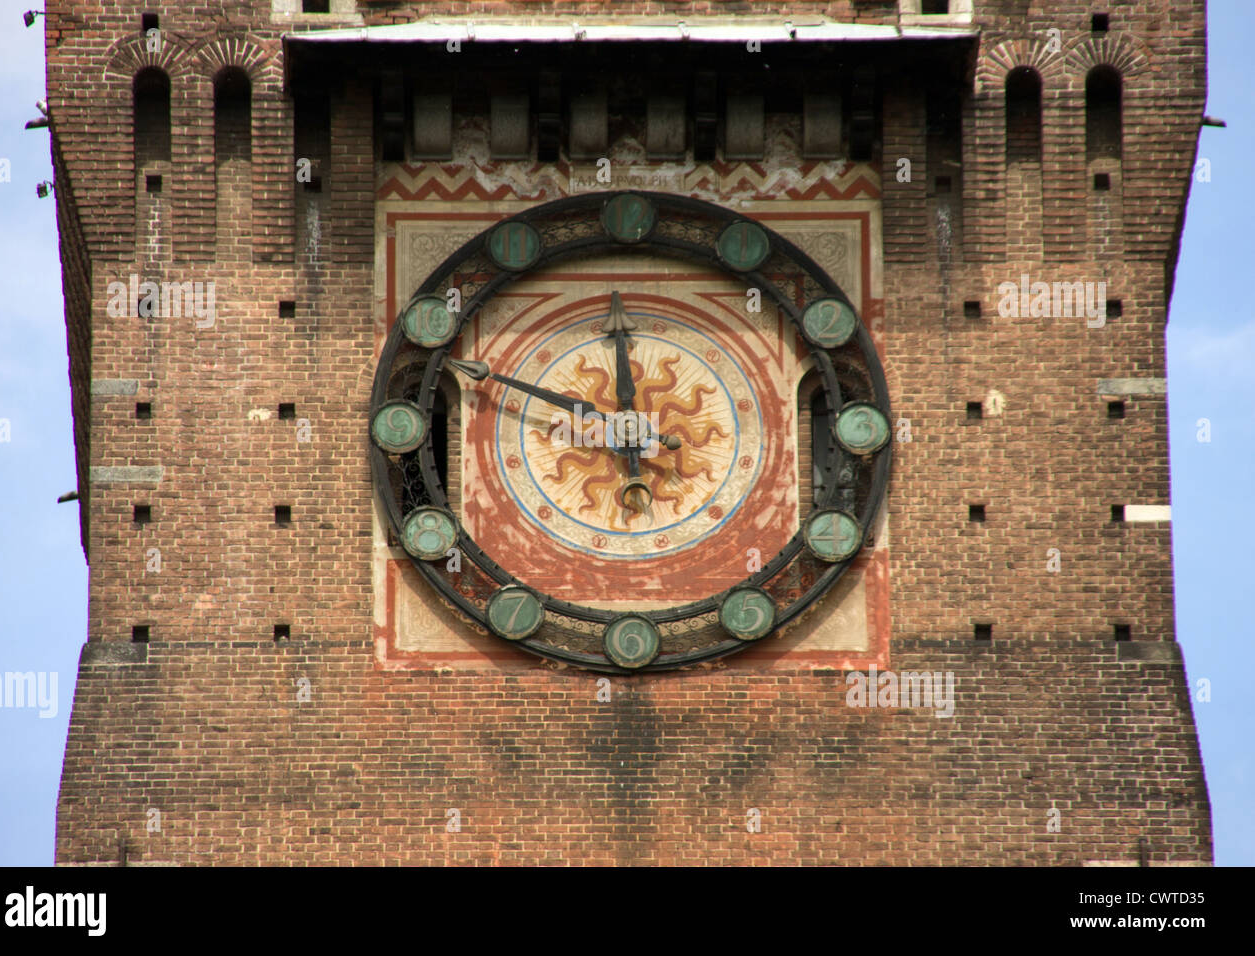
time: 11:48
